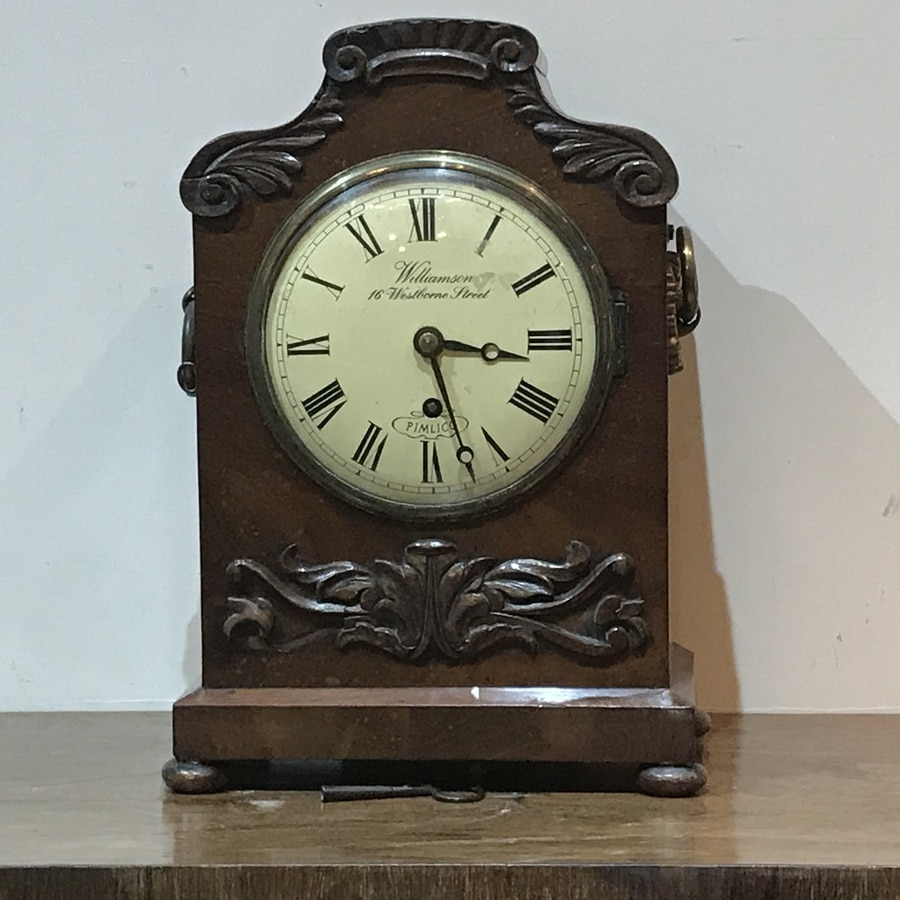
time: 3:27
